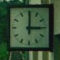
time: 3:00
